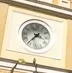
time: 3:36
